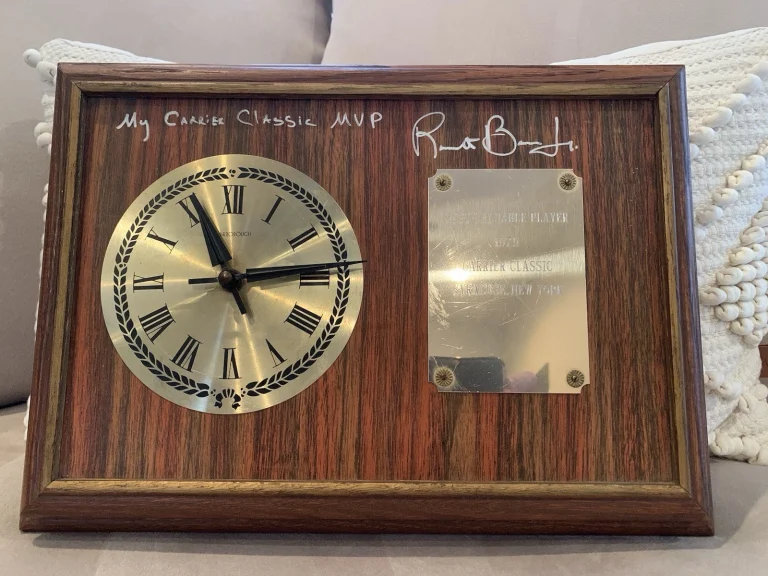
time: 11:13
